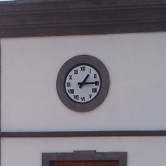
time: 1:14
